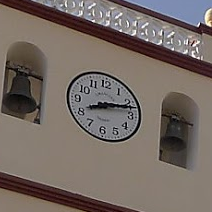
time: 8:12
